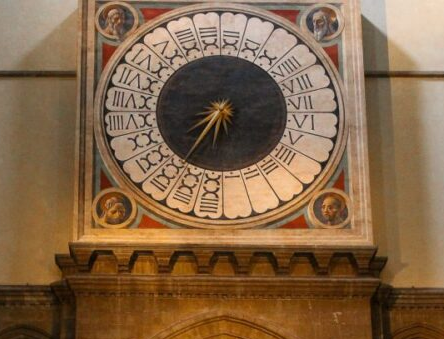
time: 7:34
